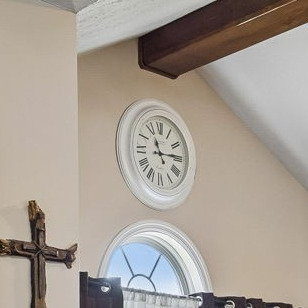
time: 11:14
